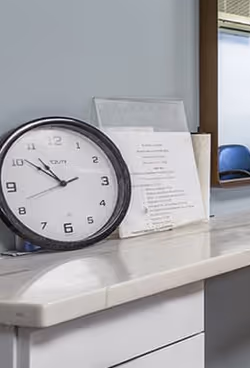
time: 10:51
